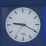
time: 9:19
